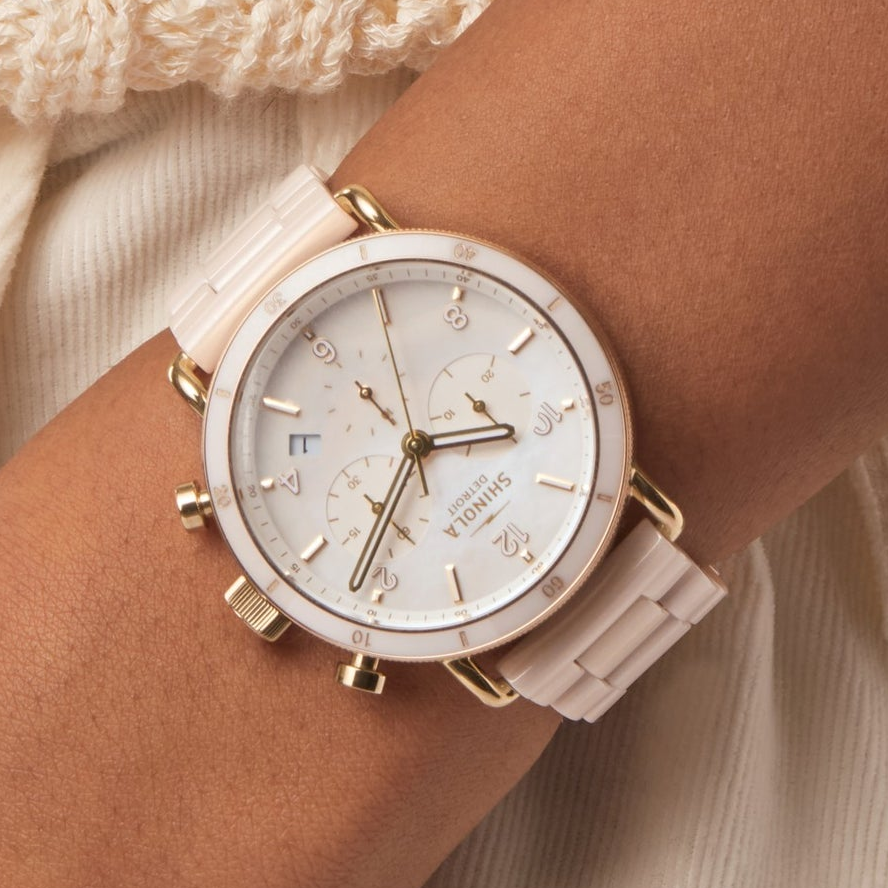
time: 2:31
